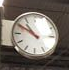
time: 10:50
